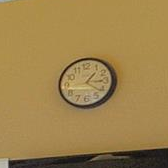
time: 1:21
